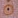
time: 9:01
